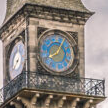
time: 8:04
